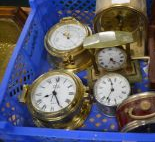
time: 8:25
